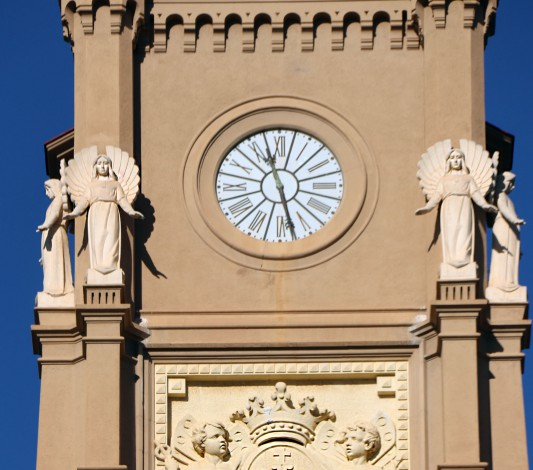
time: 11:27
